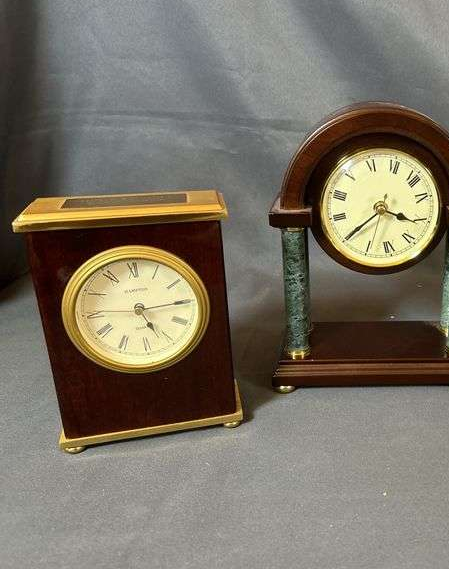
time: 5:14
